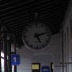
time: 5:12
